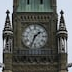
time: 1:33
